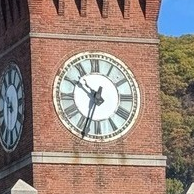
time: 10:33
